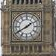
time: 1:40
